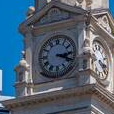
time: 3:18
